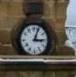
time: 3:04
